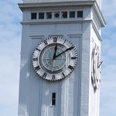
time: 12:09
